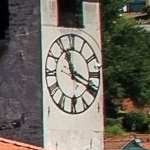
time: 11:19
